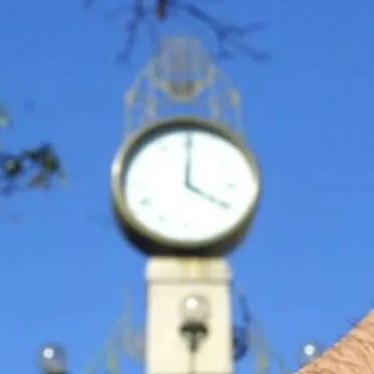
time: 4:00
